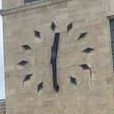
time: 12:30
